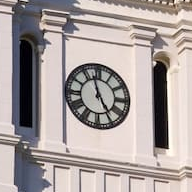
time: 4:57
